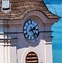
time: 2:23
